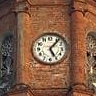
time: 5:06
